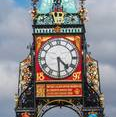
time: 4:29
